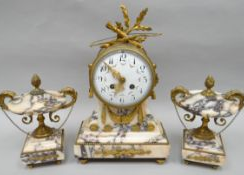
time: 6:52
